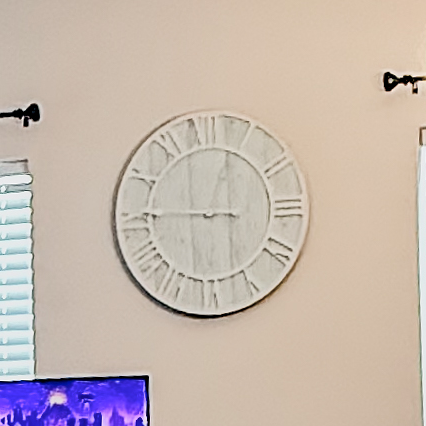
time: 12:45
